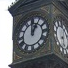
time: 1:00
